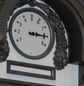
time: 3:15
